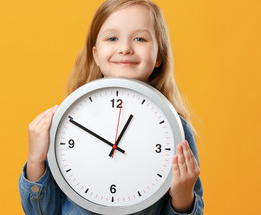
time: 12:49
